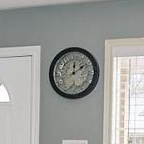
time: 12:09
